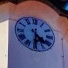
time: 4:30
